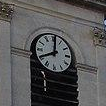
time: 8:01
